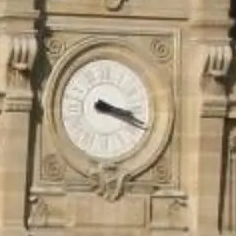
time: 3:18
